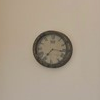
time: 7:16
